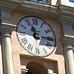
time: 11:14
